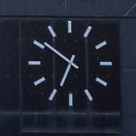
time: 6:51
